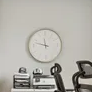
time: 11:47
